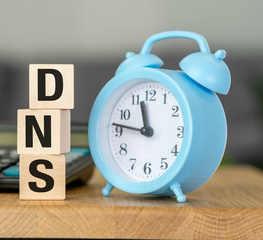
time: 11:46
